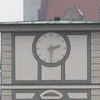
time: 2:30
